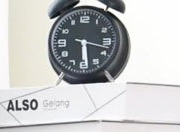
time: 3:29
